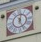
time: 12:26
